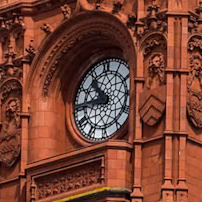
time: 10:45
